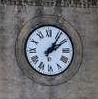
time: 2:06
